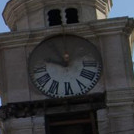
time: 9:55
